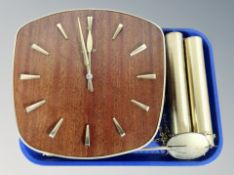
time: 11:57
